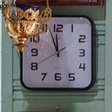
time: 11:56
